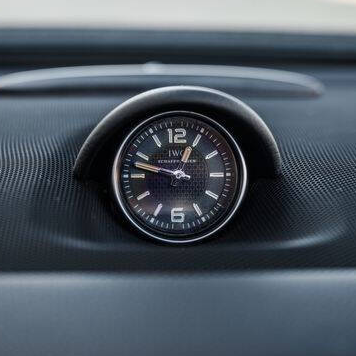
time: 12:47
